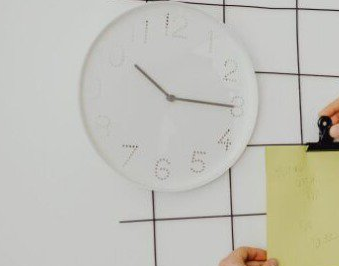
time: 10:15
